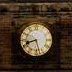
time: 8:27
